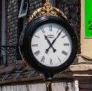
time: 11:06
